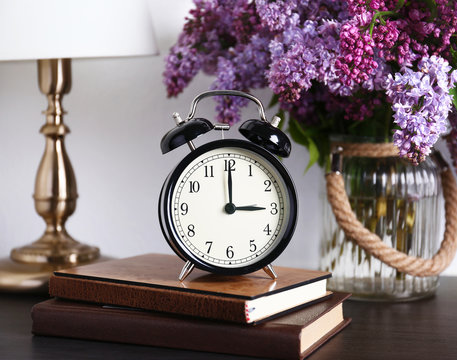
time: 3:00
